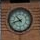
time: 10:42
